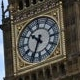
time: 10:34
